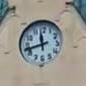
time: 11:42
